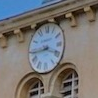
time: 3:43
